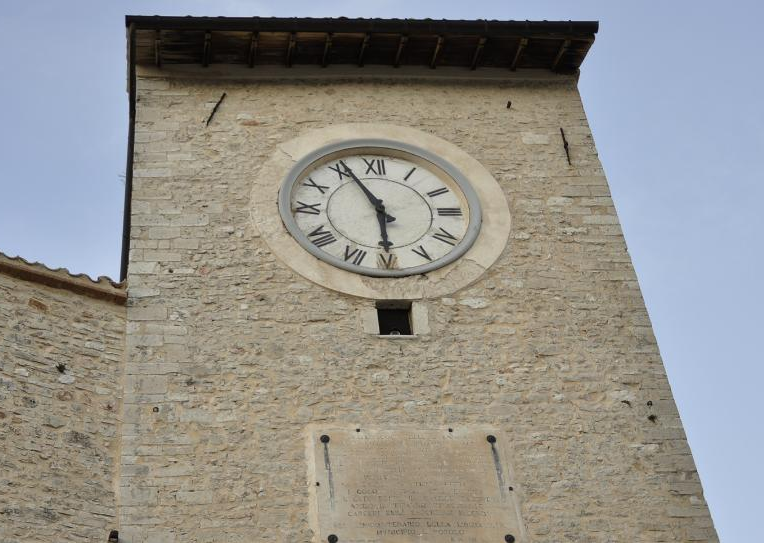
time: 5:55
